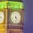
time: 4:28
